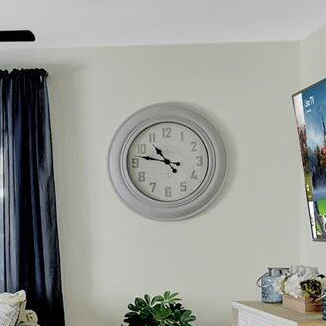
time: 10:47
